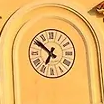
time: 6:51
